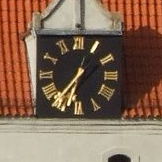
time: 6:36
